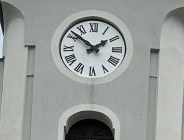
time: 1:51
